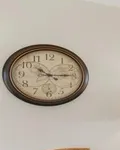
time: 10:14
